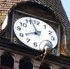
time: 7:57
